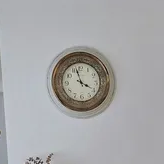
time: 3:57
